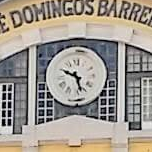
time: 5:49
